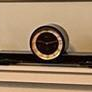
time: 9:12
